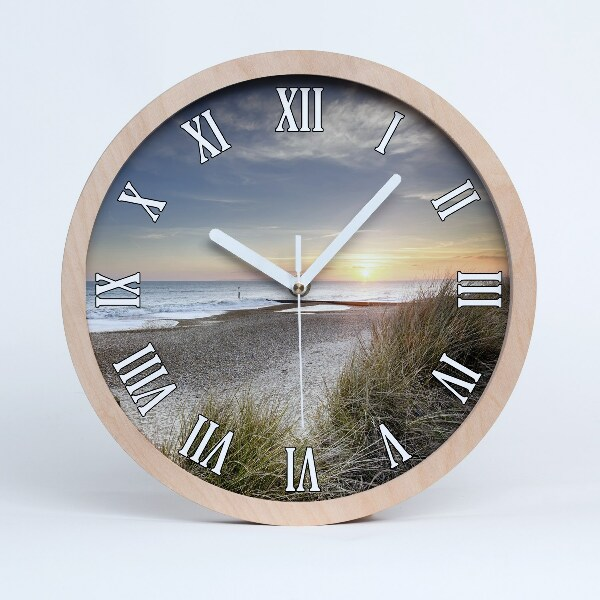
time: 10:06
